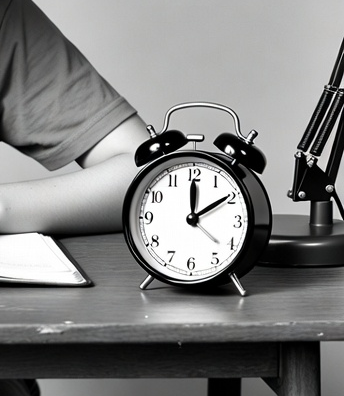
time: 12:09
